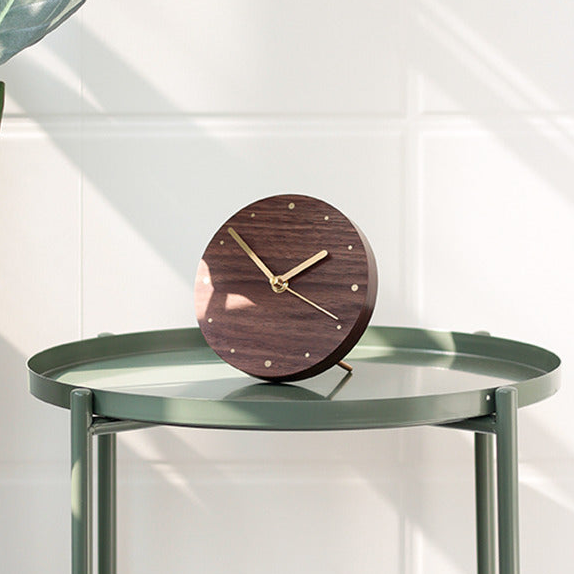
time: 1:52
